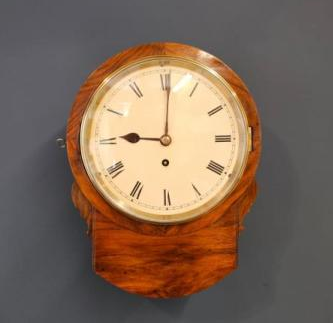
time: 9:00
